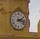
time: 2:17
